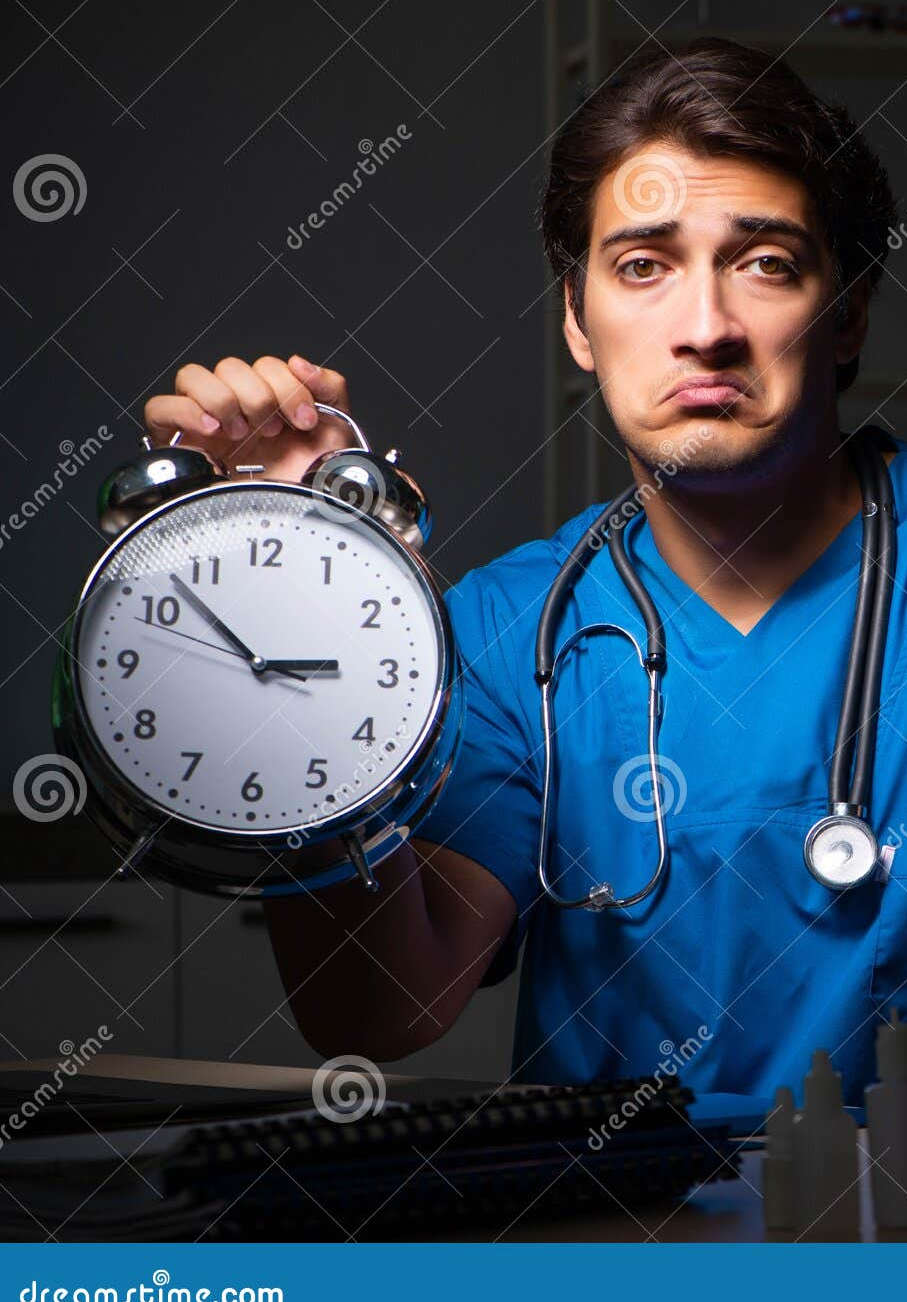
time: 2:52
